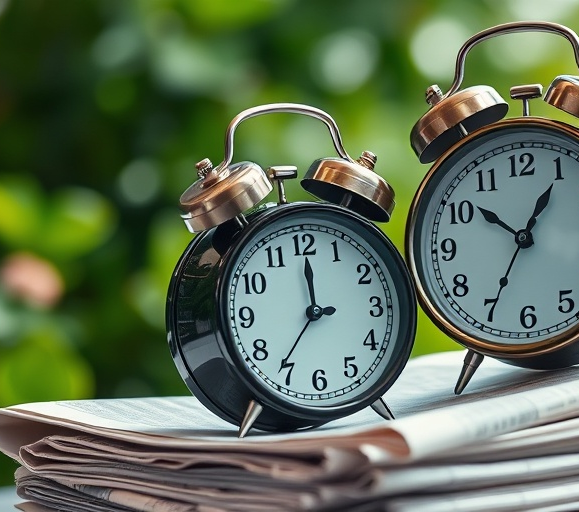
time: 12:00
